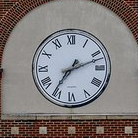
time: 7:11
